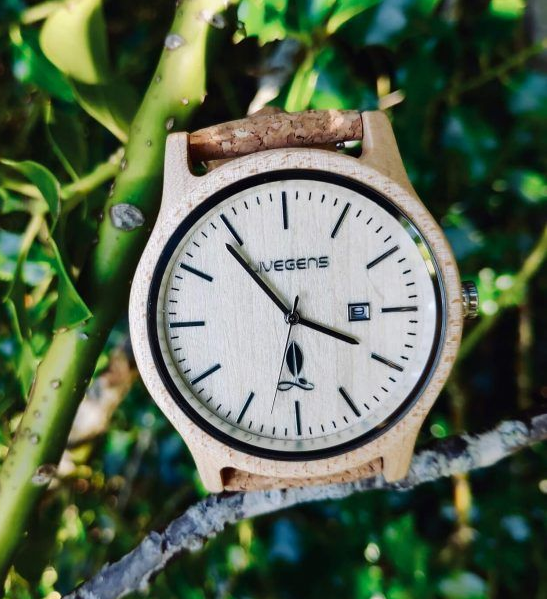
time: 3:53
